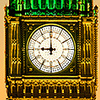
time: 8:59
